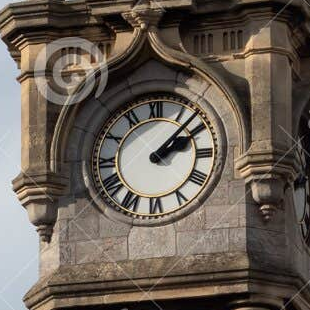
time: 2:07
